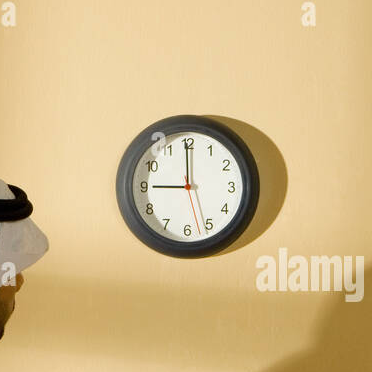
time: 8:59
